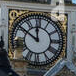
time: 11:50
